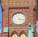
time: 4:17
